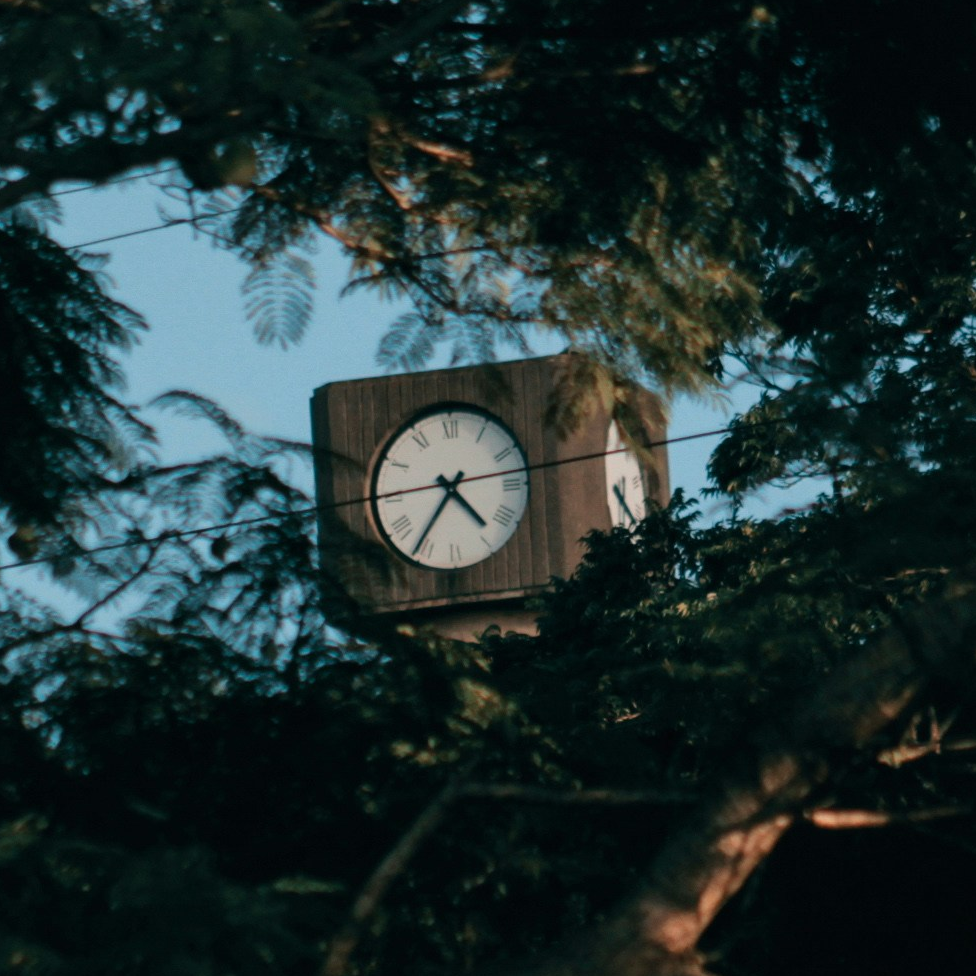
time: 4:35
